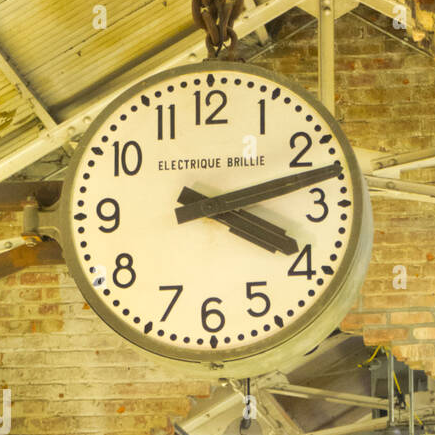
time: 4:12
